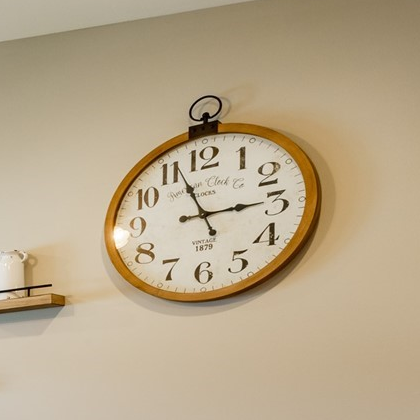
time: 2:56
